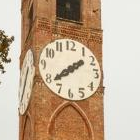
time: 1:38
